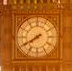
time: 7:40
